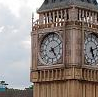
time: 5:10
